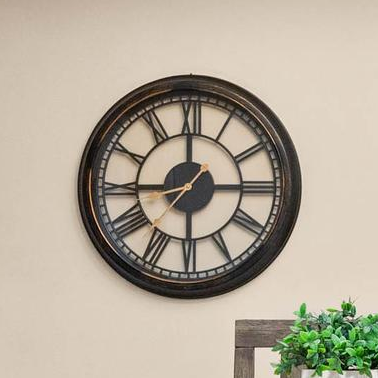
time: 2:59
